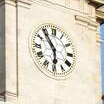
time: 5:54
